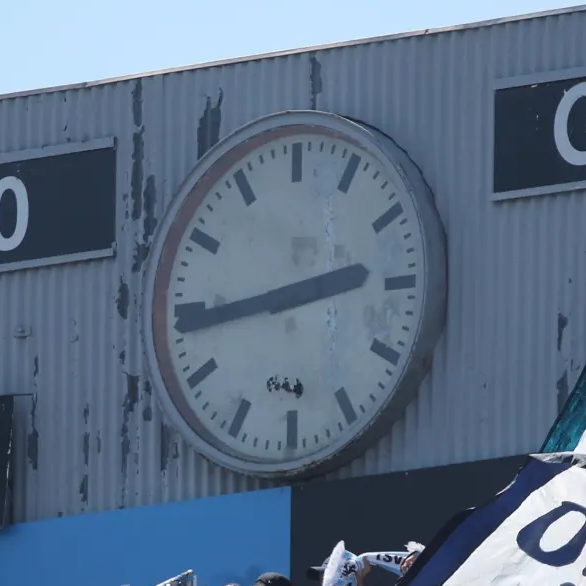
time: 2:43
